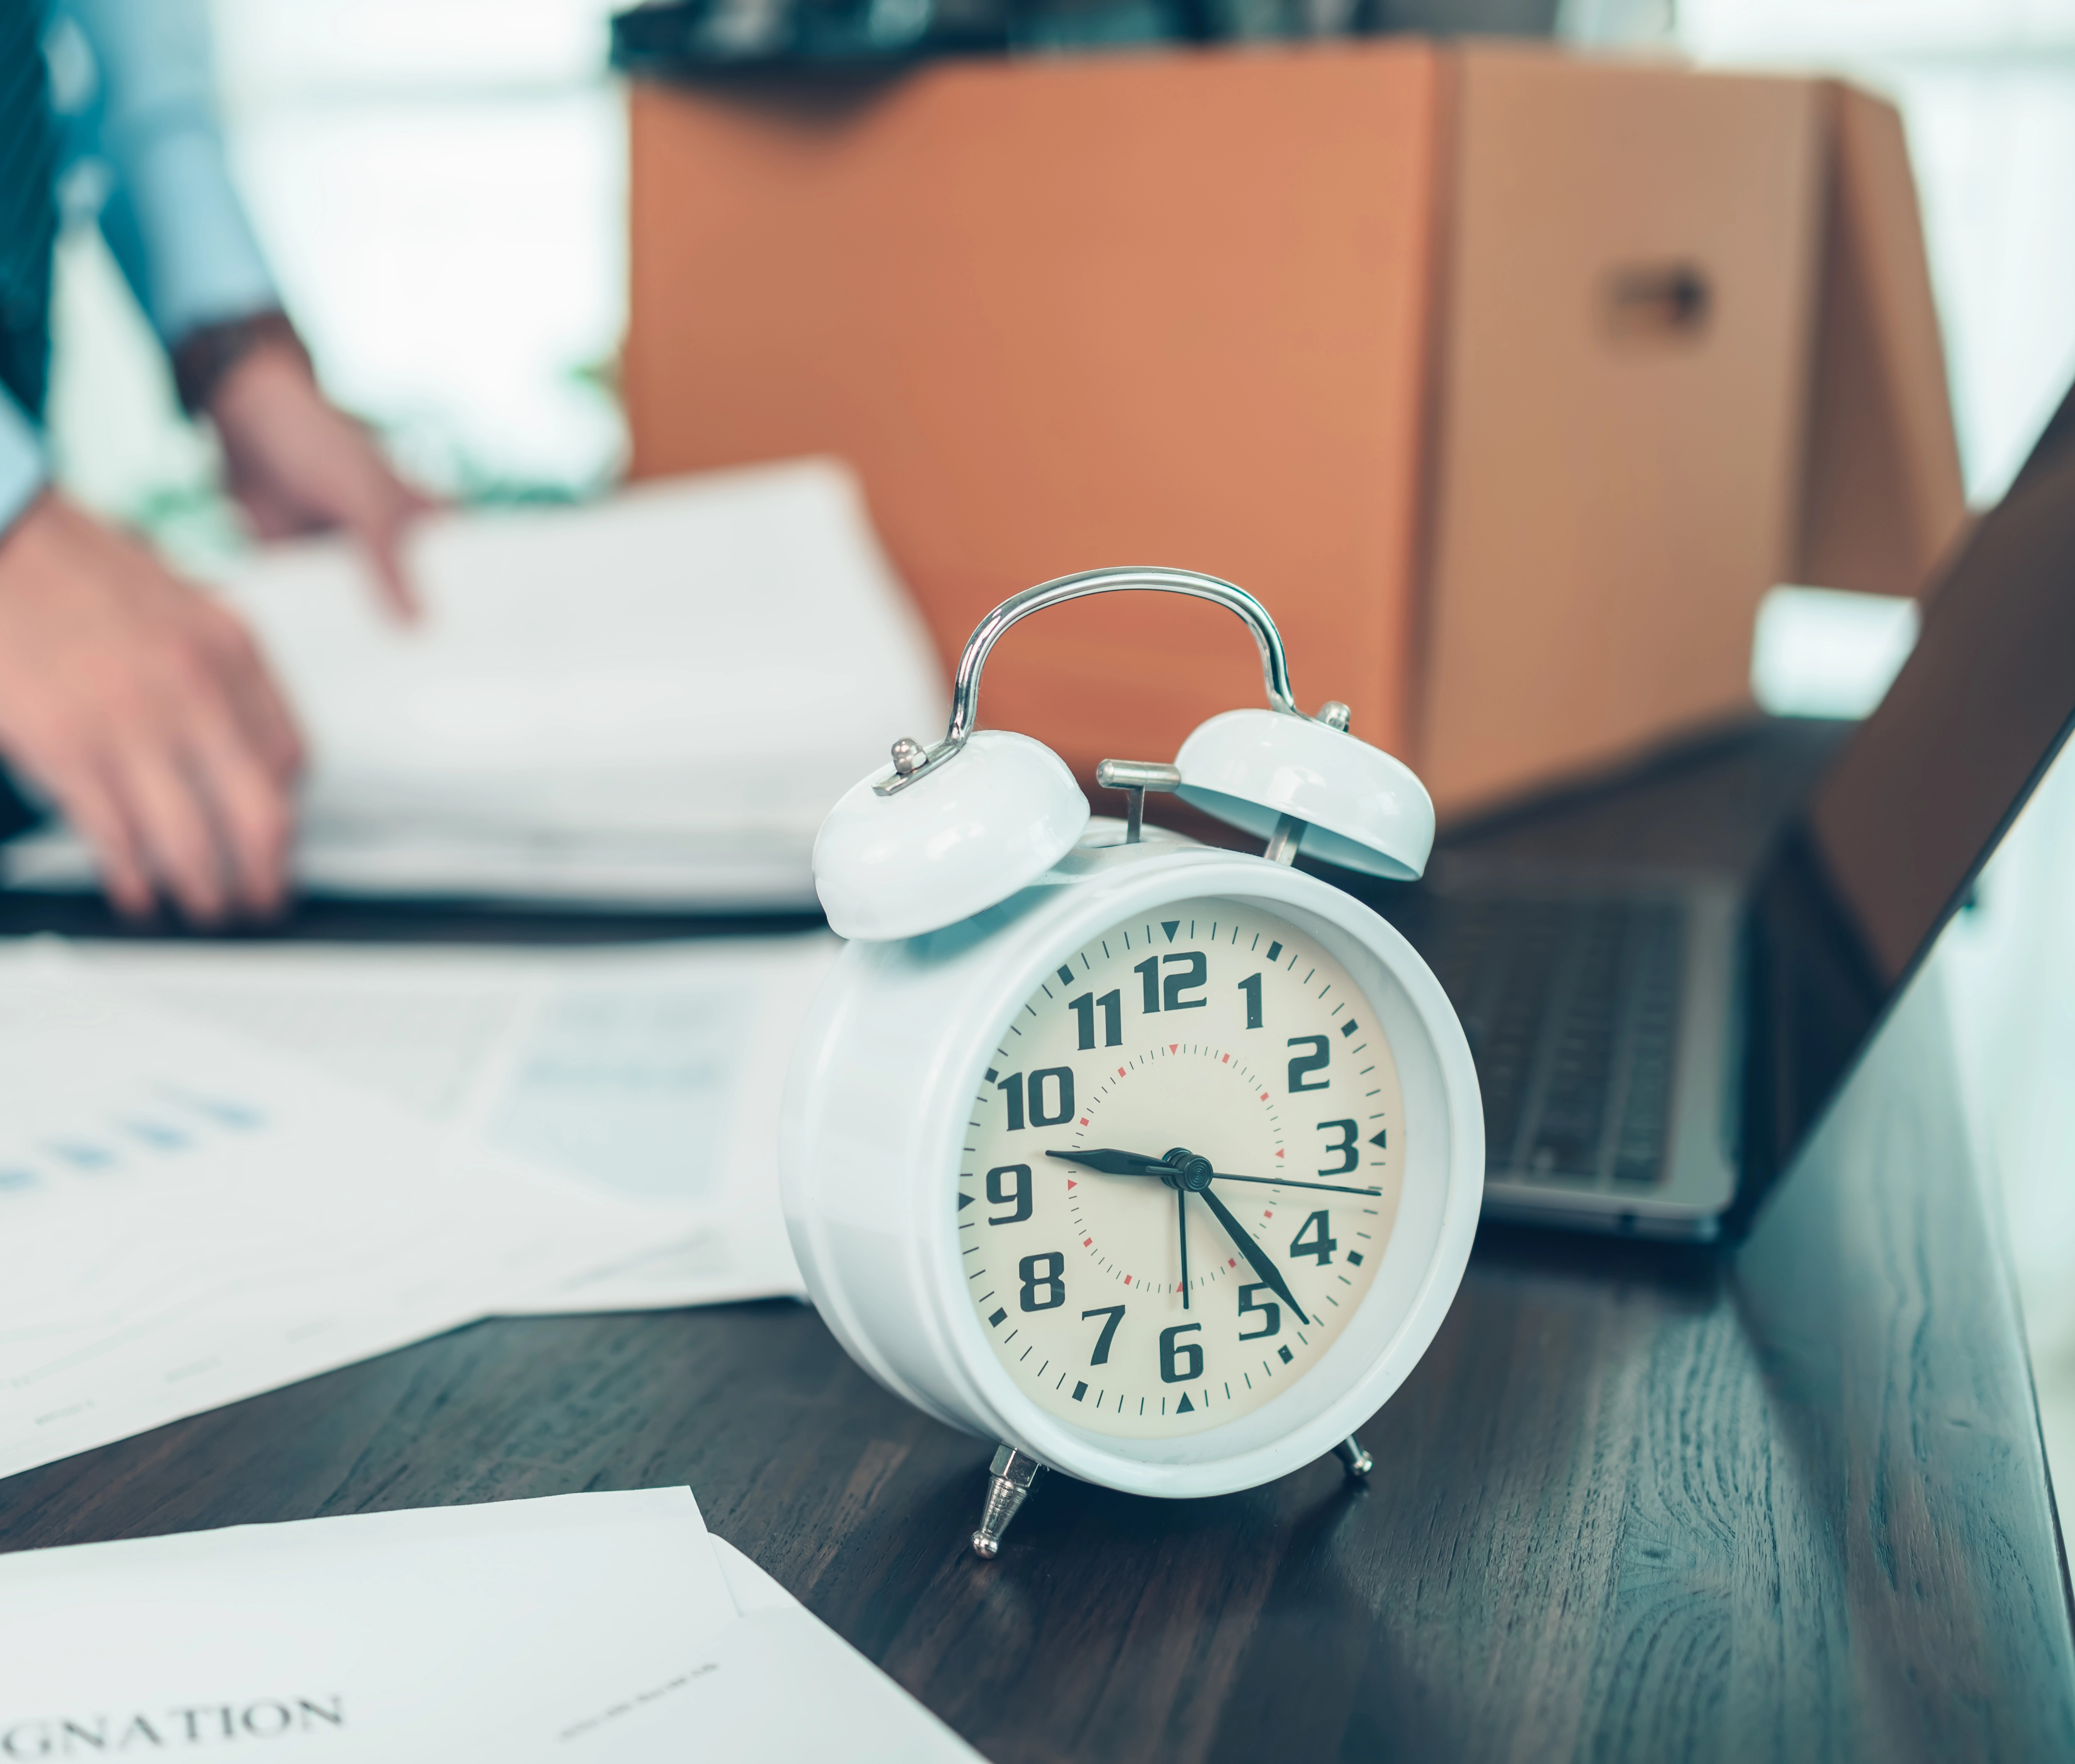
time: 9:23
